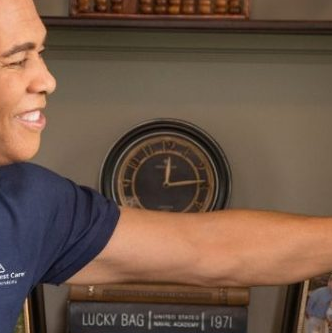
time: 12:14
